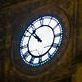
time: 10:52
